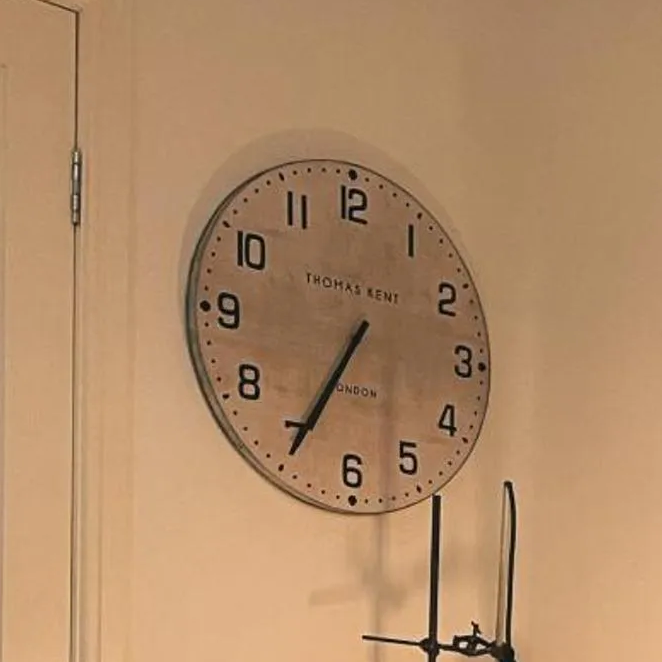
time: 6:34
